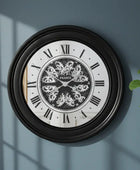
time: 7:14
